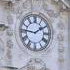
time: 1:46
